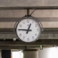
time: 12:46
